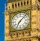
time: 7:07
